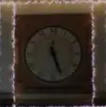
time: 5:26
